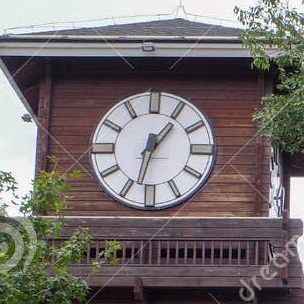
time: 1:32
